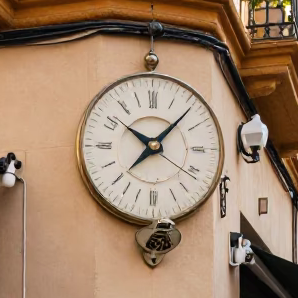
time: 10:07
